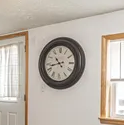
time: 10:42
